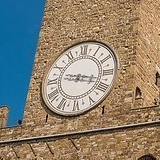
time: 9:17
